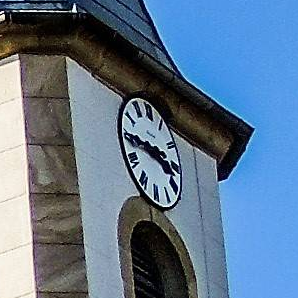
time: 3:45
